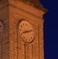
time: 8:12
